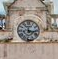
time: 12:16
